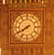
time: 7:40
